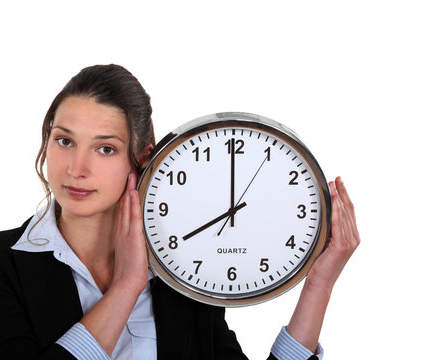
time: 7:59
